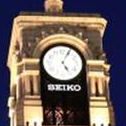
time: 5:04
